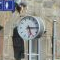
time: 5:14
